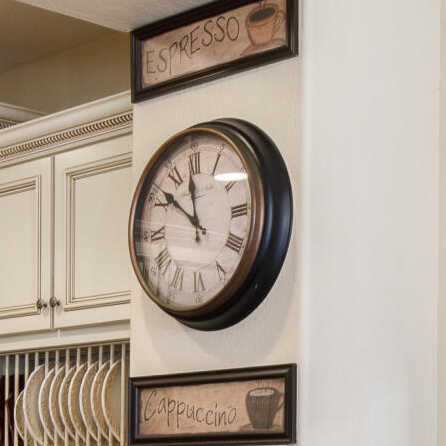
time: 11:51
